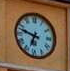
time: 6:47
